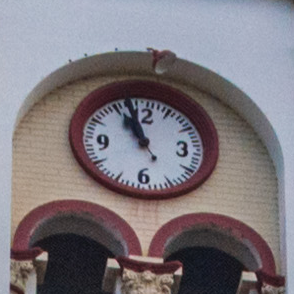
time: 10:57
